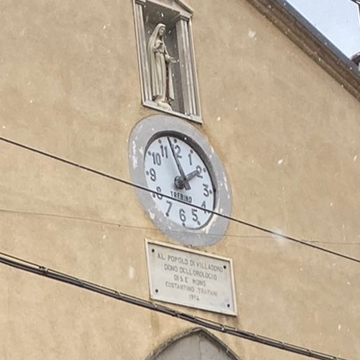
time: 1:57
